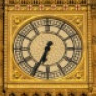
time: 6:34
